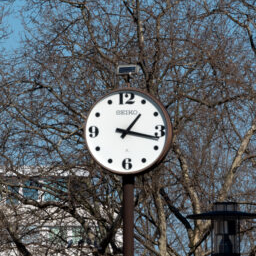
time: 1:17
